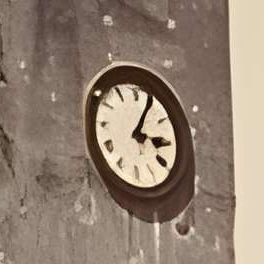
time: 3:04
